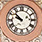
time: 9:52
